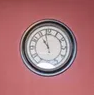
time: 10:58
